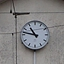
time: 10:47
